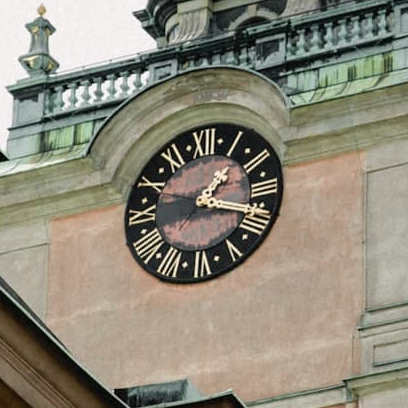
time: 1:18
